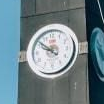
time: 9:51
